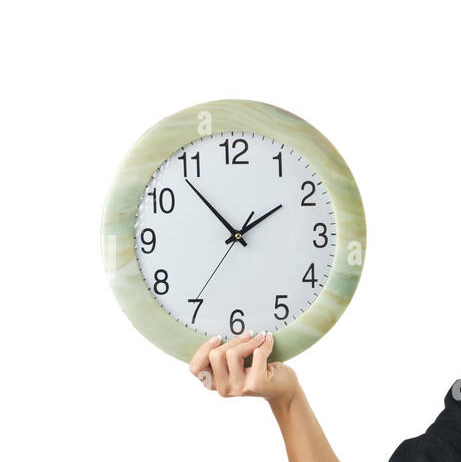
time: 1:53
